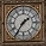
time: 1:36
